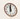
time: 12:00
